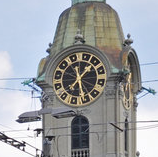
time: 1:26
